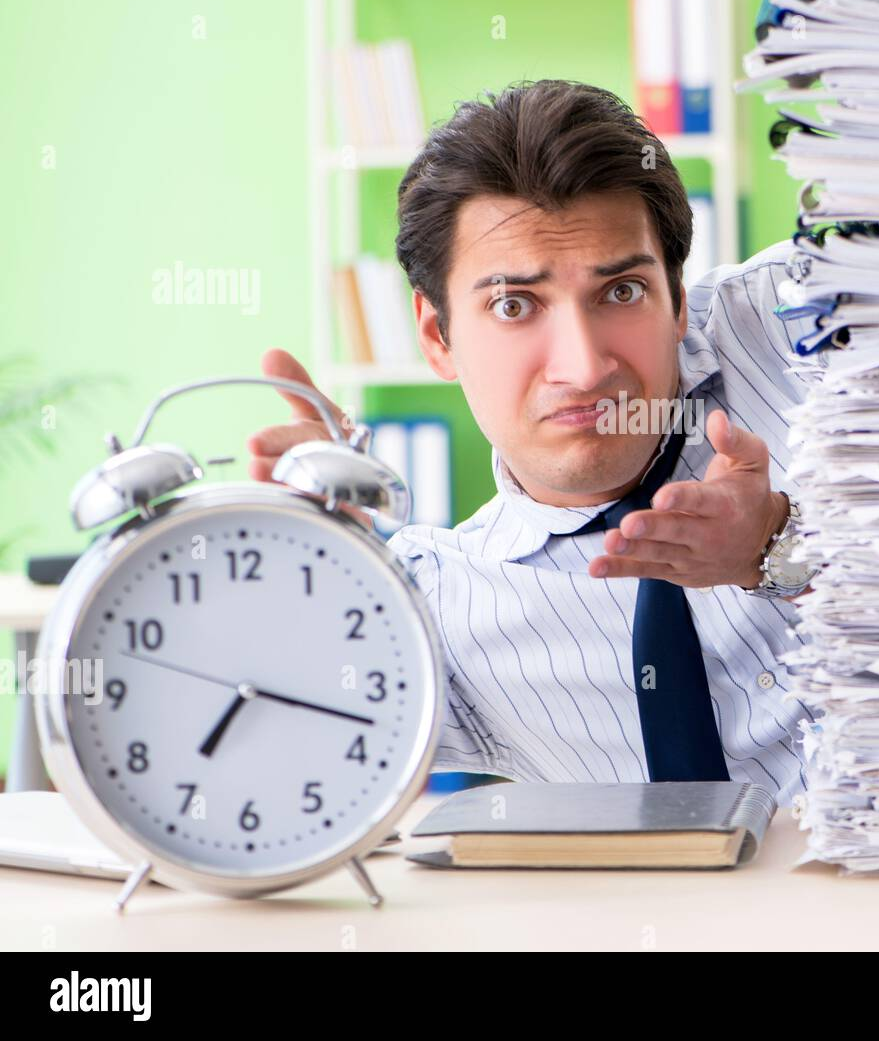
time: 7:17
